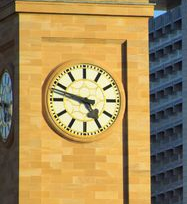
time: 4:47
